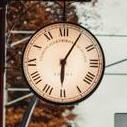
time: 6:05
